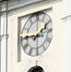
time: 1:45
